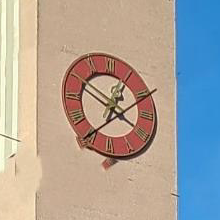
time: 12:49
